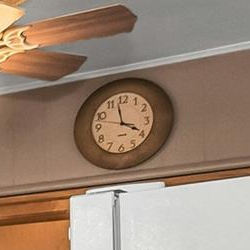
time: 3:57
